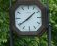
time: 1:39
